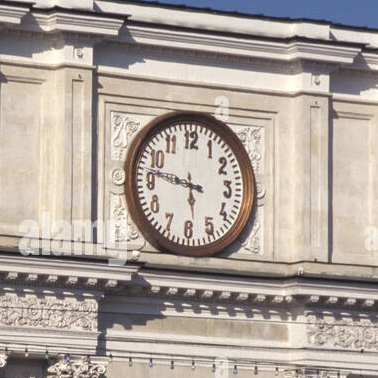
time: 5:47
